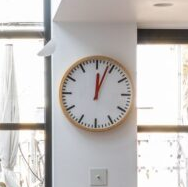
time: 12:03
